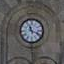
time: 11:18
